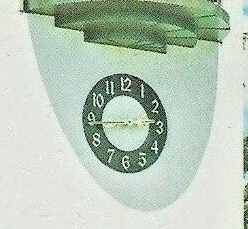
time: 2:44
